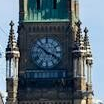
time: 3:51
